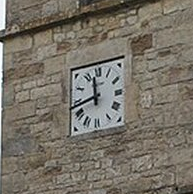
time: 11:43
